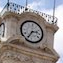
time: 2:35
